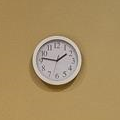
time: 1:46
